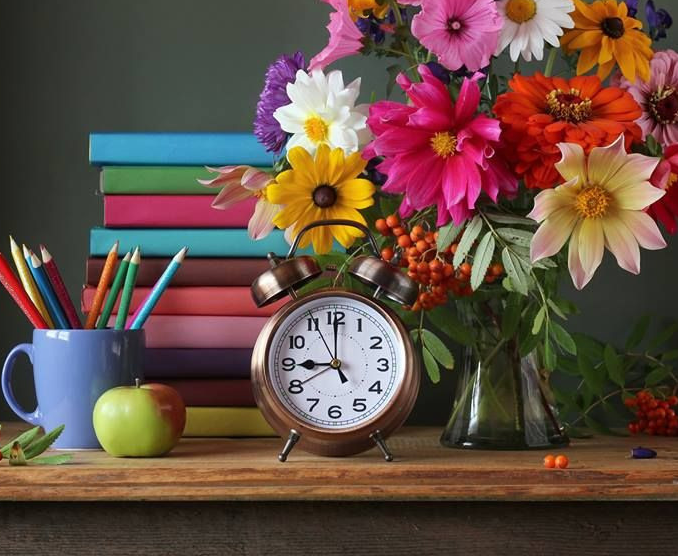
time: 9:00
